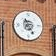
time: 7:24
